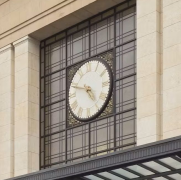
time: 4:47
